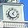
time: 5:05
